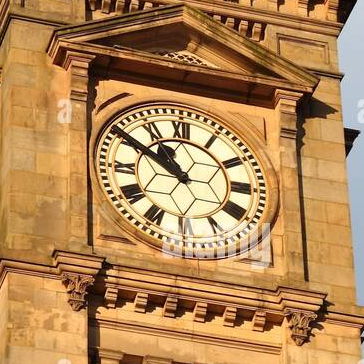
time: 10:50
